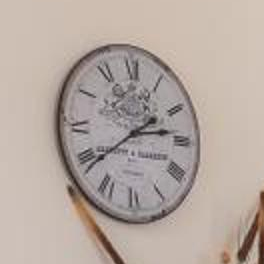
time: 2:39
